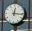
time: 12:15
